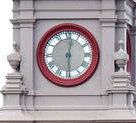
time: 12:29
